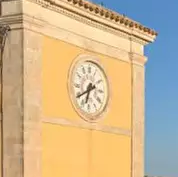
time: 6:39
